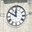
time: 11:49
